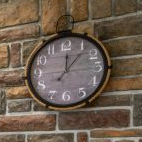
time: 12:06
